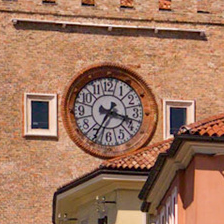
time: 3:35
